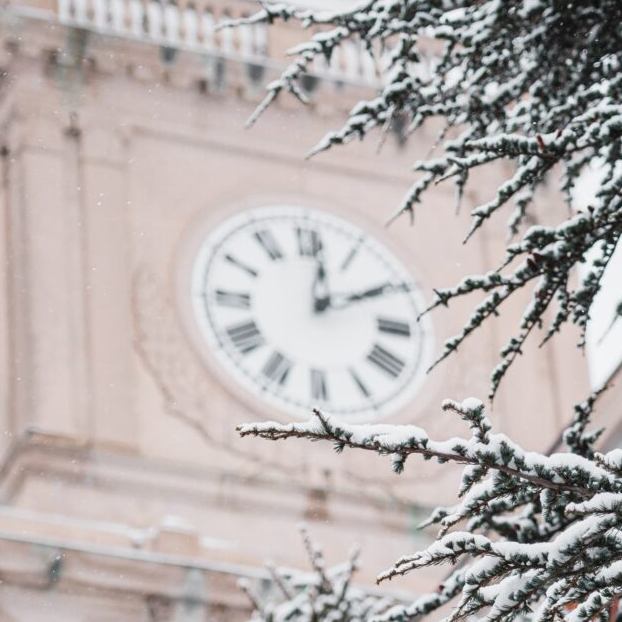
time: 2:01
